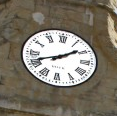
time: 1:41
